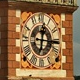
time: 12:15
